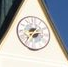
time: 2:36
